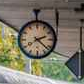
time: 2:21
